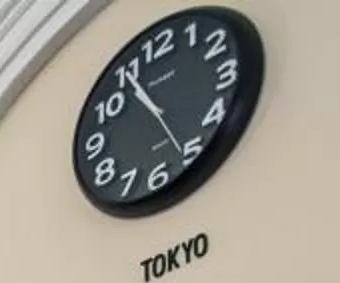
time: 10:54
